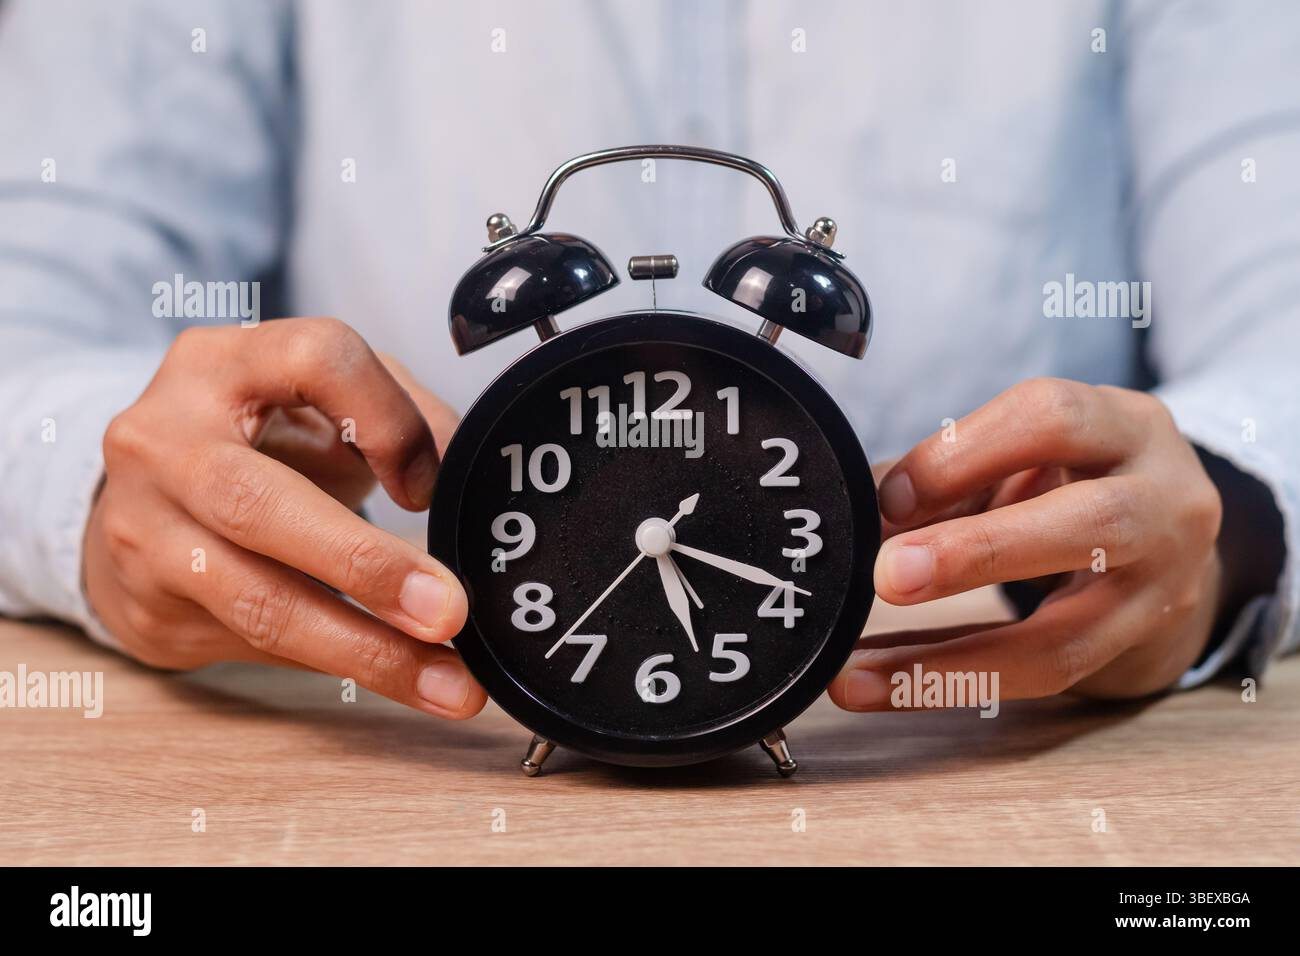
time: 5:18
